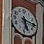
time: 5:15
